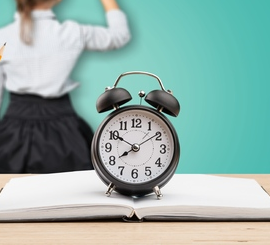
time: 7:50
